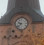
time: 9:38
